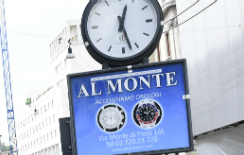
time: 12:27
